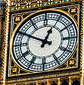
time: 12:49
